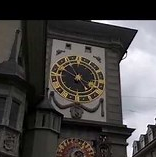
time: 4:50
